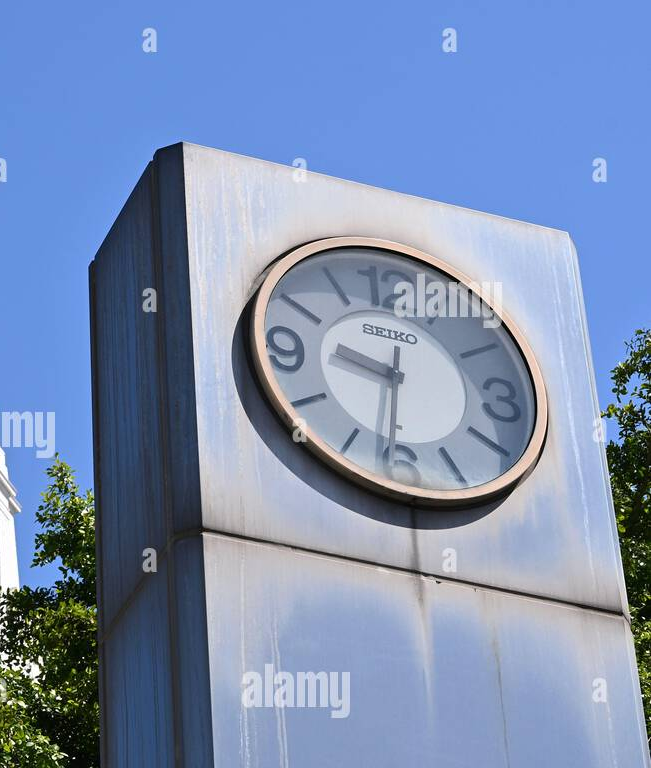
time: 9:31
